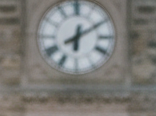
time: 6:10
